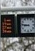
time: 8:46
